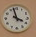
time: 3:57
